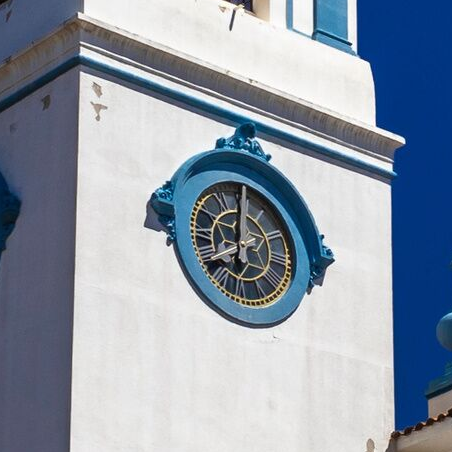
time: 8:00
